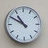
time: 10:50
